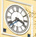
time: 3:38
